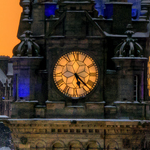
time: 5:22
